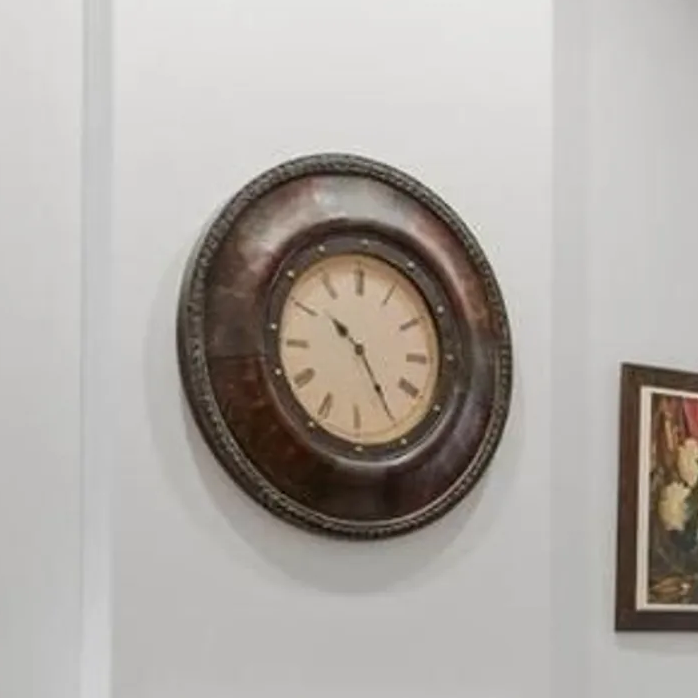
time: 10:24
